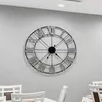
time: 7:07
